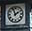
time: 1:56
